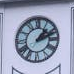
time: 1:11
